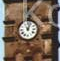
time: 11:03
